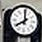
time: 8:00
